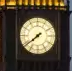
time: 7:38
